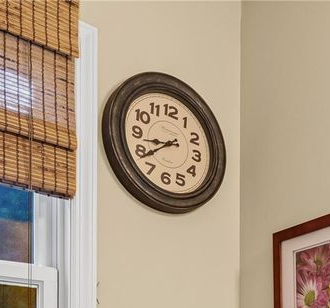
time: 8:38
